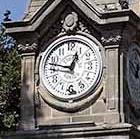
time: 12:47
